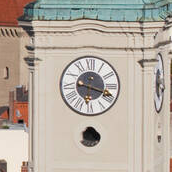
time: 6:18
